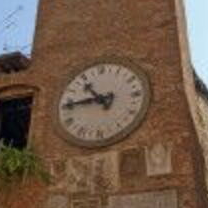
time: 10:45
